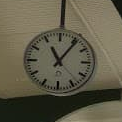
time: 11:05
